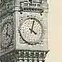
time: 4:02
